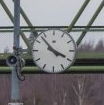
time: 3:53
